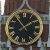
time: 1:53
